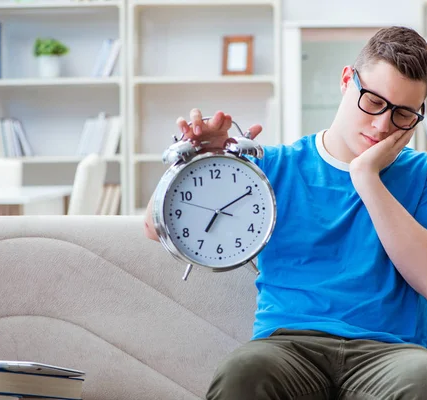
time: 7:10
